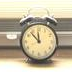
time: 11:53
